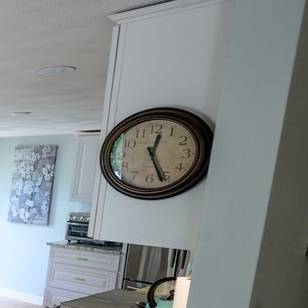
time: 12:26
